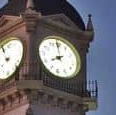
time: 7:59
